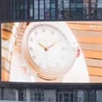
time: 10:10
